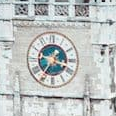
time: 3:36
